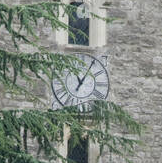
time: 11:05
